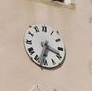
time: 3:33
